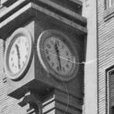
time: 11:28
